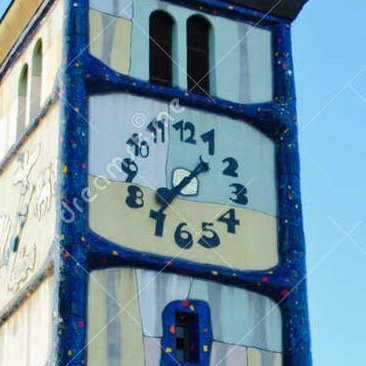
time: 1:35
